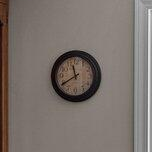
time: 11:39
